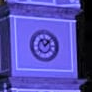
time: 11:07
